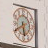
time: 5:40
